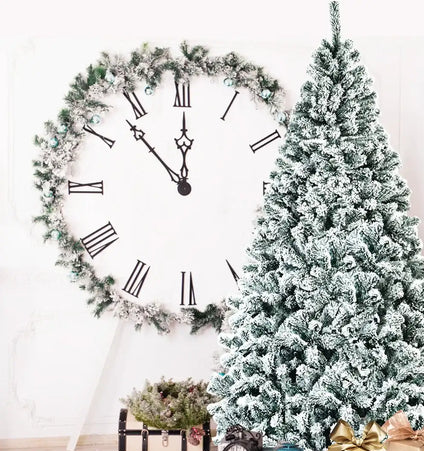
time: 11:52
